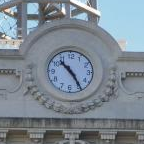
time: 10:24
